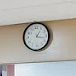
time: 1:17
